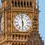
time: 5:58
